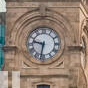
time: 9:32
